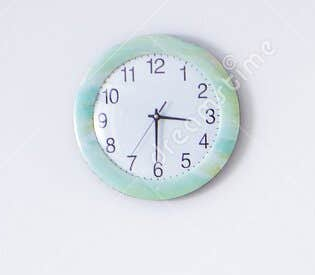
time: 3:30
